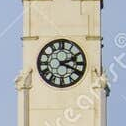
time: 2:18
